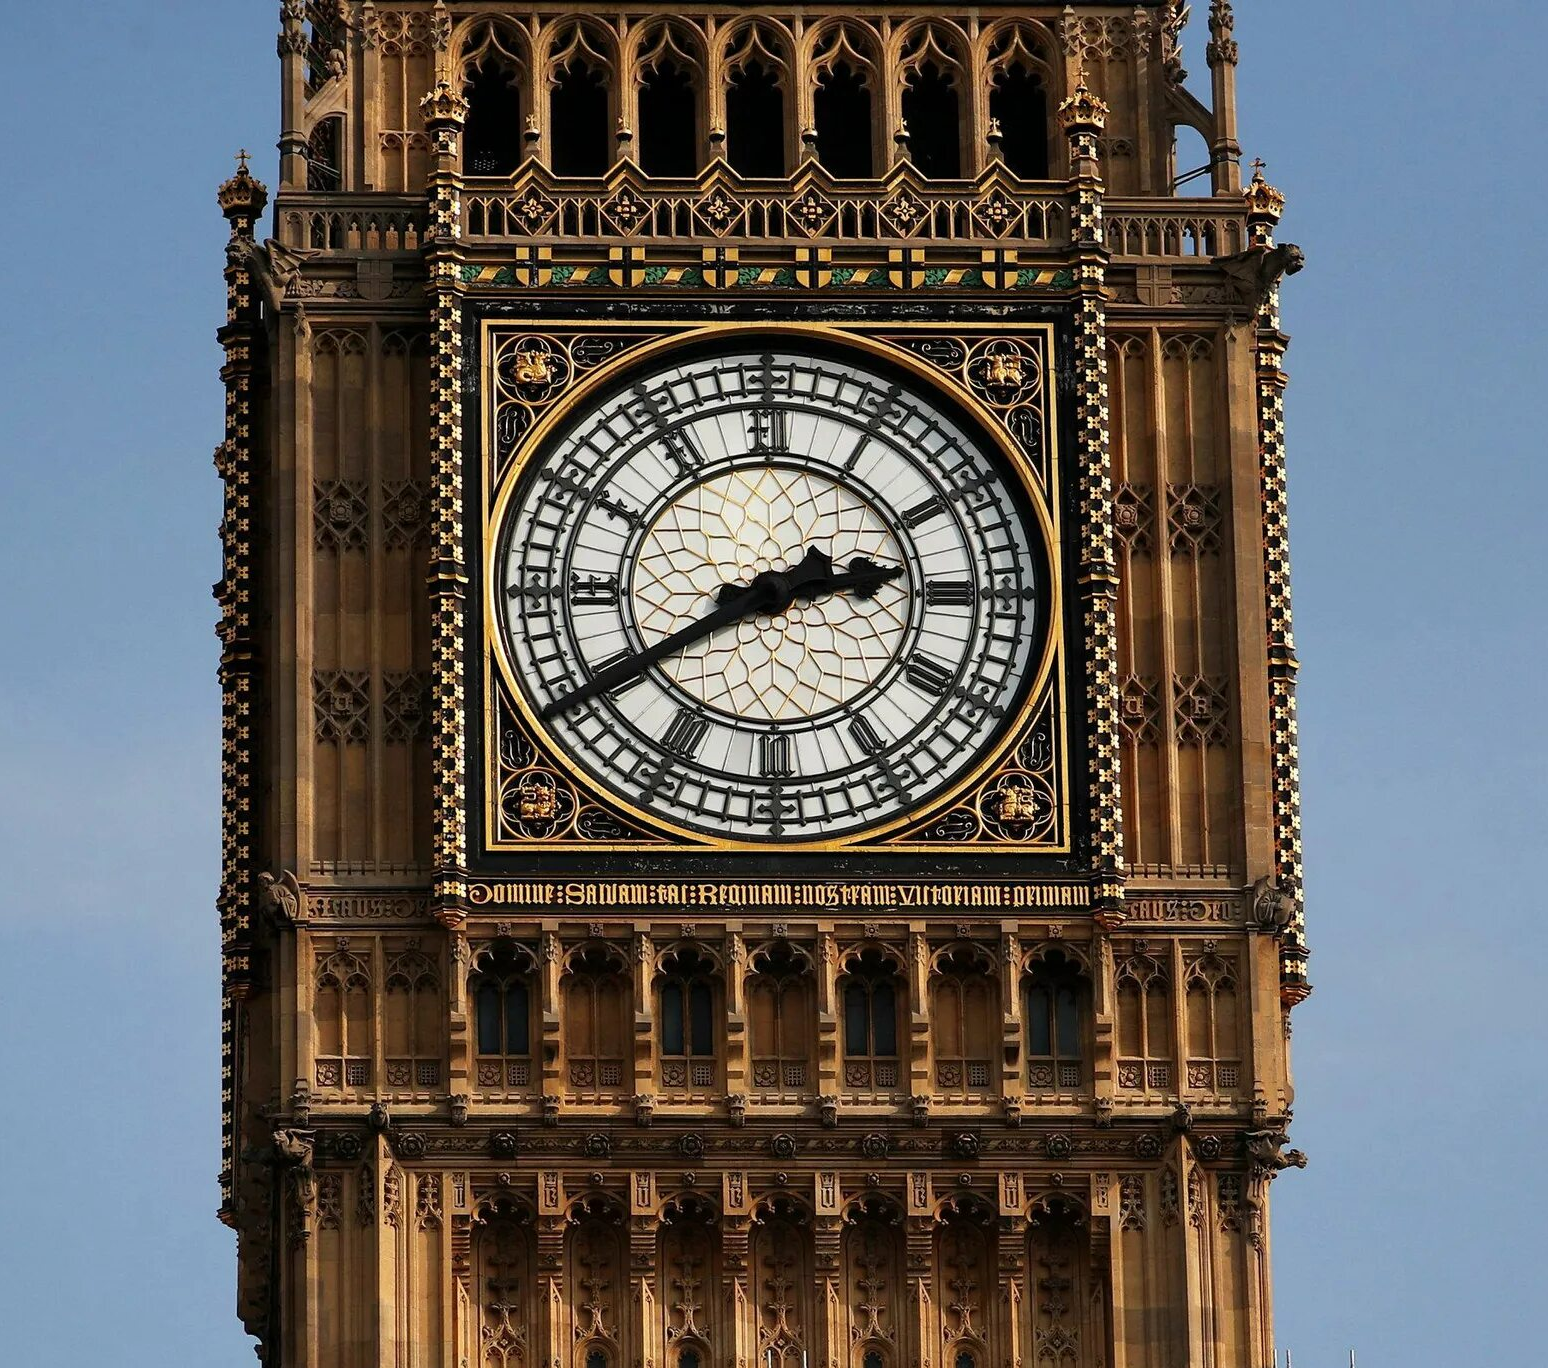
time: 2:40
